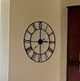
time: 2:59
